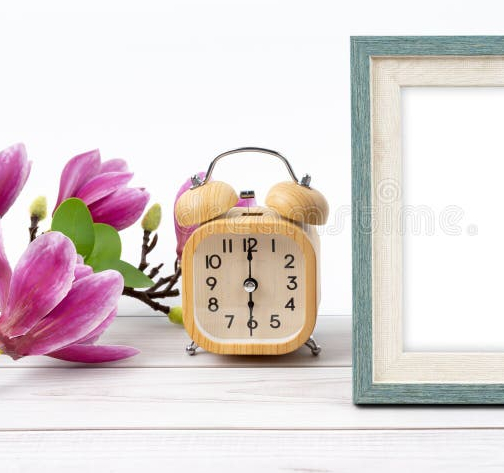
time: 6:00
